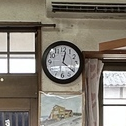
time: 12:21
